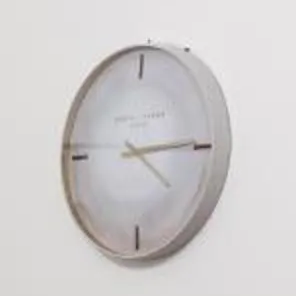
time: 4:14
